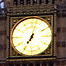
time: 7:02
